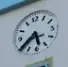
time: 5:38
